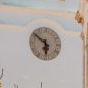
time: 5:51
